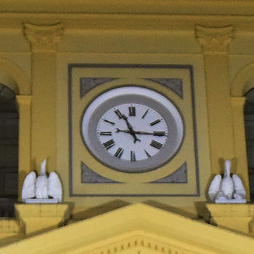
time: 11:15
